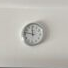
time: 11:46
